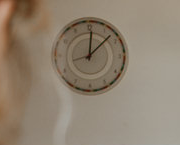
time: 12:07
